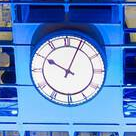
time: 10:04
